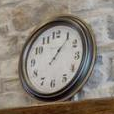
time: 1:06
